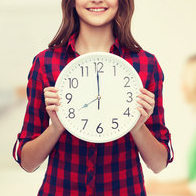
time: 7:59
